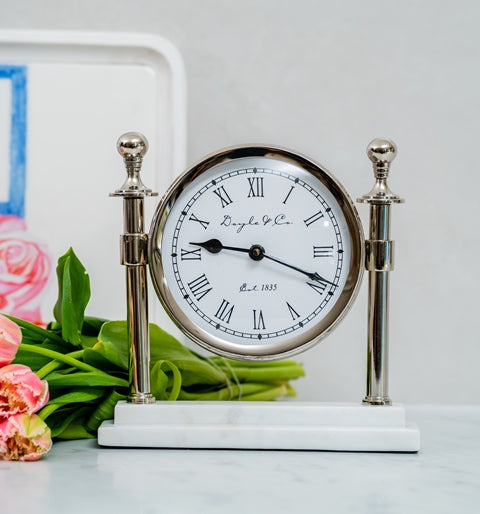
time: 9:19
